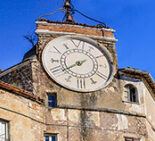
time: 7:39
